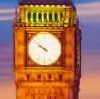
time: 9:51
